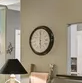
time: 6:00
